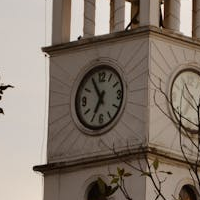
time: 6:54
